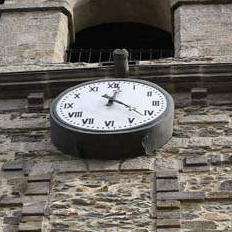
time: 12:21
